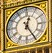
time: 12:24
